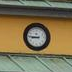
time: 8:45
